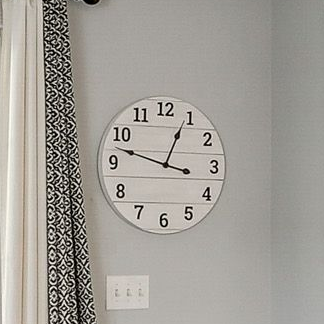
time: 12:47
